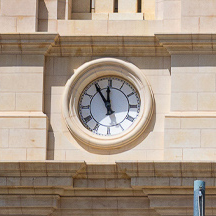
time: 11:54
